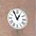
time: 12:55
